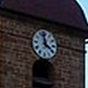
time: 3:58
